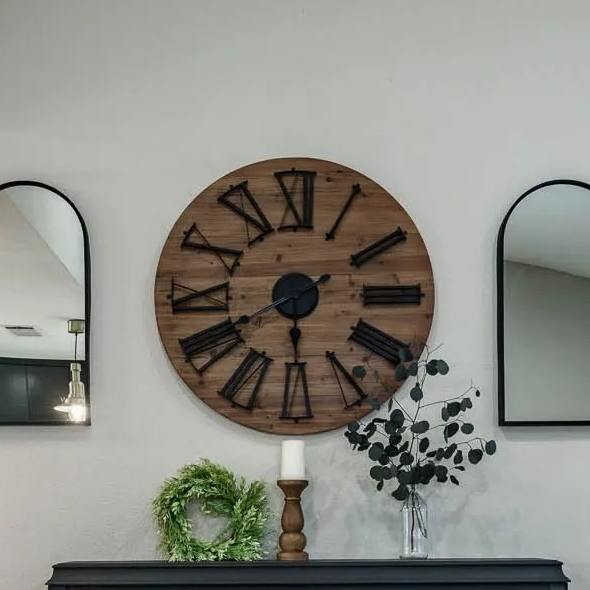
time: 5:40
